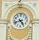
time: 4:42
